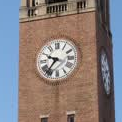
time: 9:36
